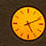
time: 5:11
